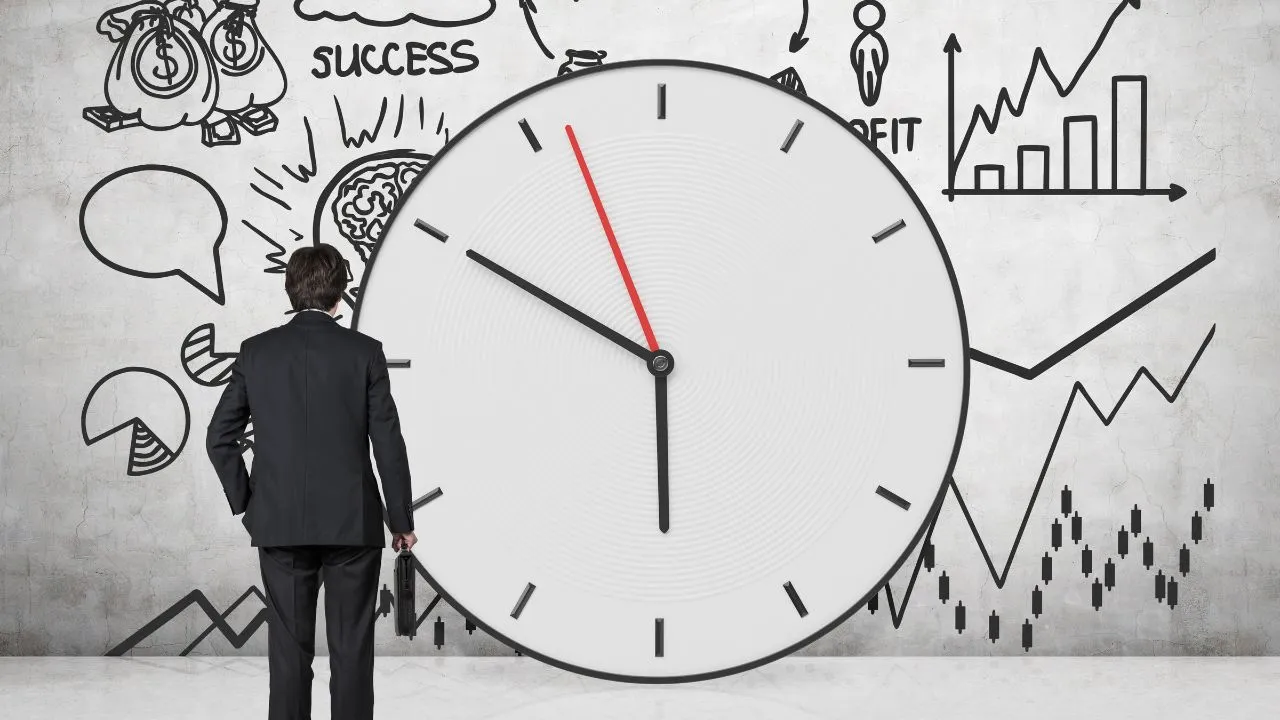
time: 5:49
